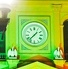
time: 1:37
